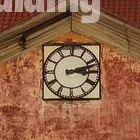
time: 3:12
